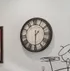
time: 1:30
